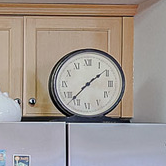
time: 1:37
